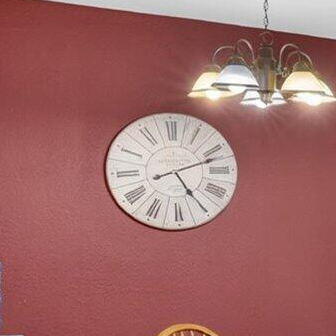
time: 5:11
